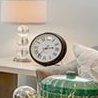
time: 2:36
